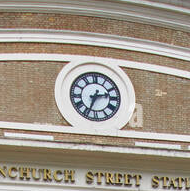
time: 2:33
